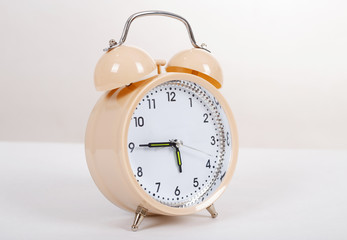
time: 5:45
